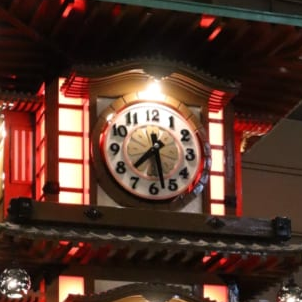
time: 7:28
